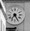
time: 7:25
